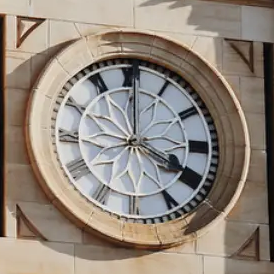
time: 4:00
